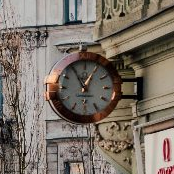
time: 12:55
